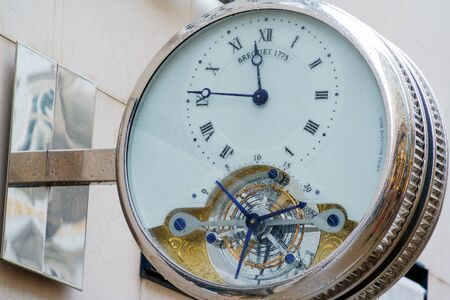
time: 11:45
